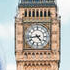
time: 4:42
